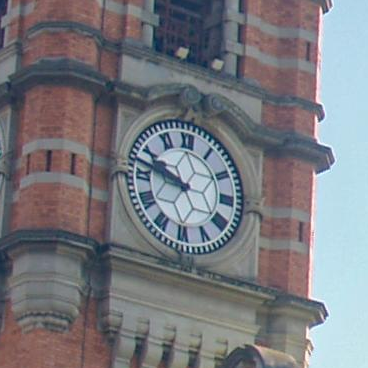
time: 9:47
